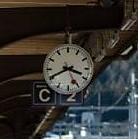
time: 3:40
